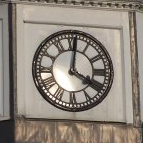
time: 4:00
